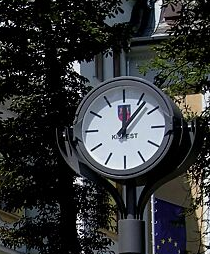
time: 12:06
